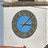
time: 3:07
